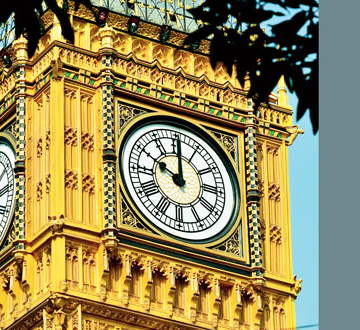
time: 10:00
